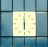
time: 5:59
